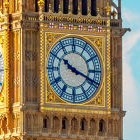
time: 10:18
